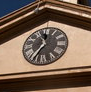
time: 11:35
